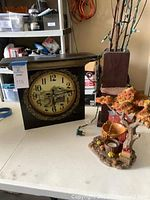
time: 6:14
